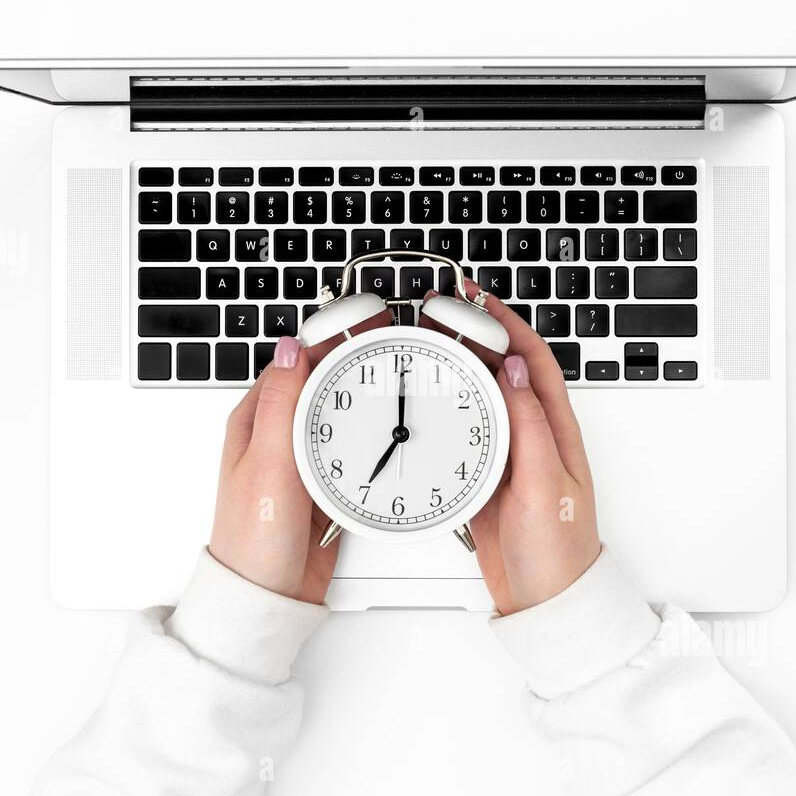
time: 7:00
